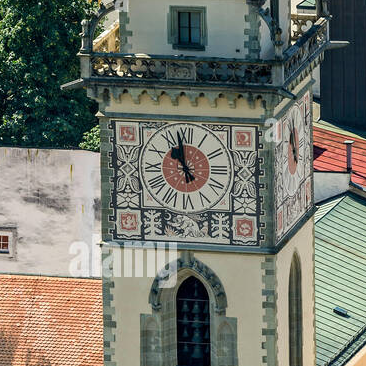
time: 10:58
